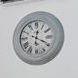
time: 12:19
